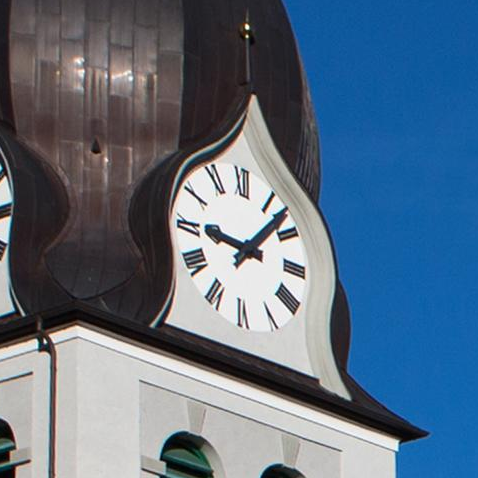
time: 9:07
